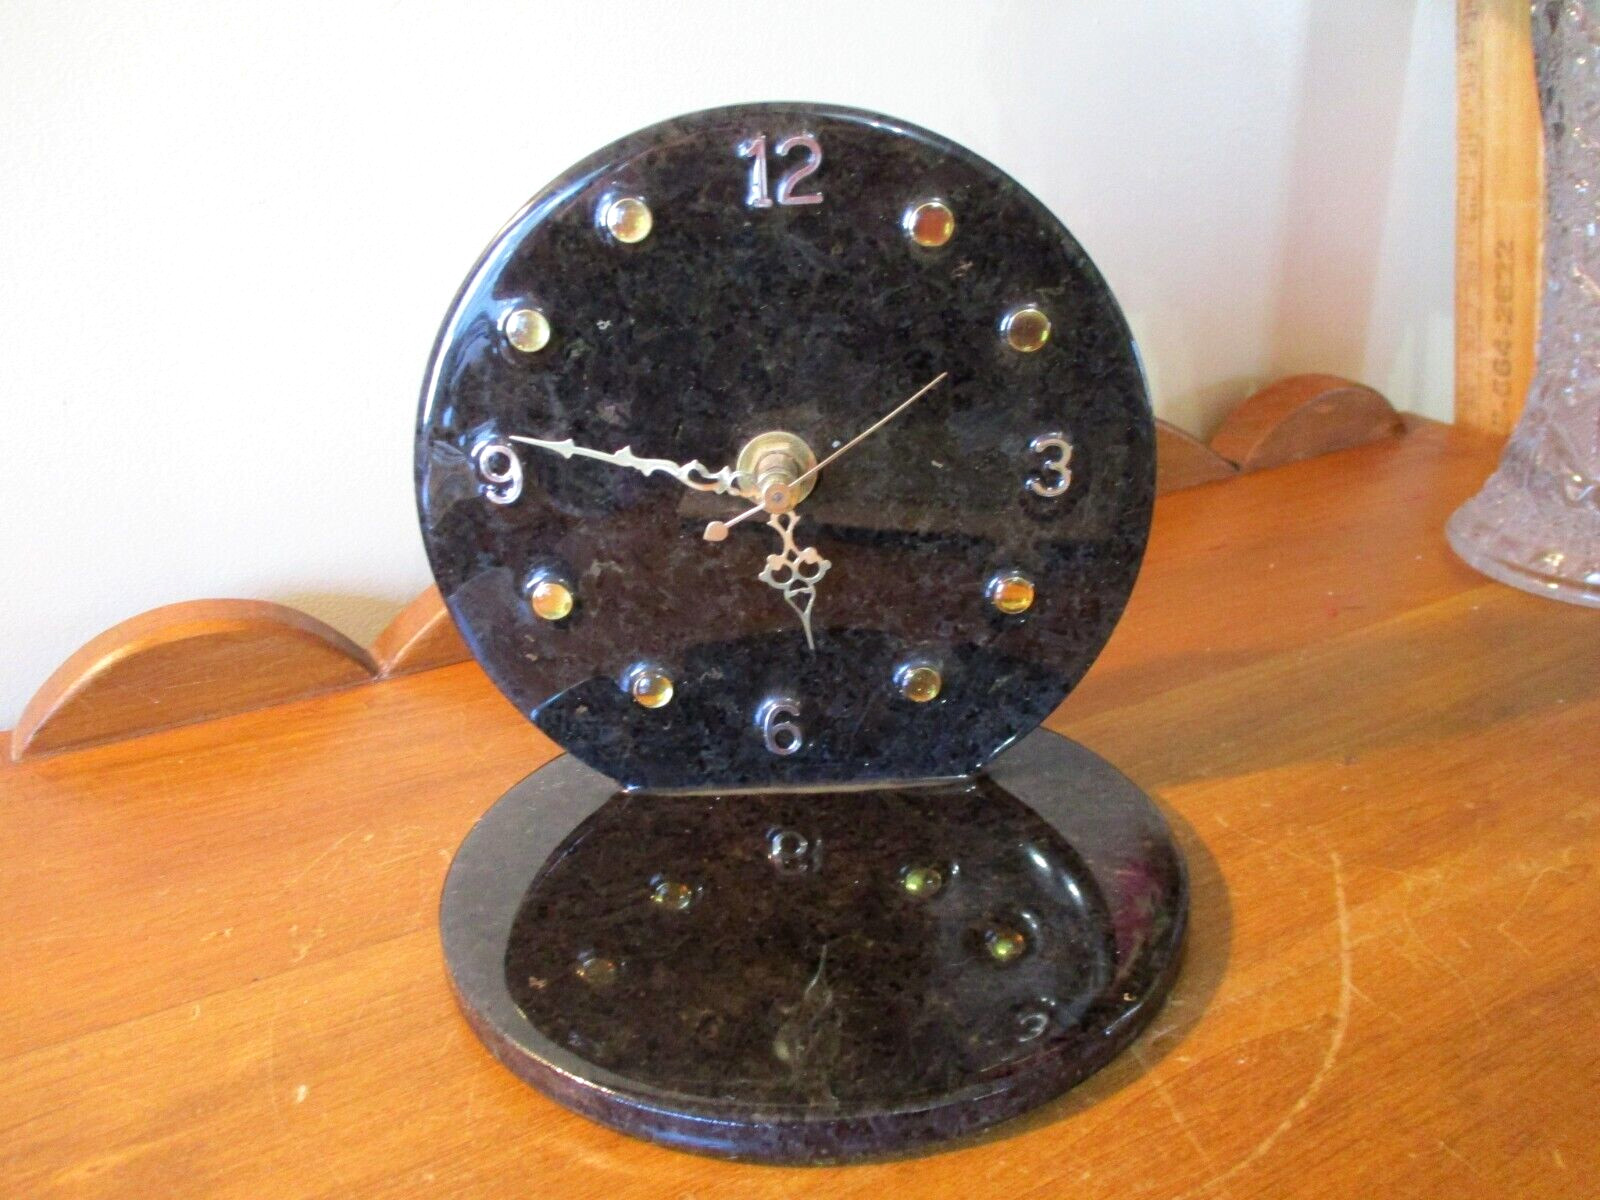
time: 5:46
